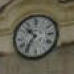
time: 10:36
